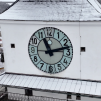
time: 11:12
